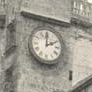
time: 2:00
